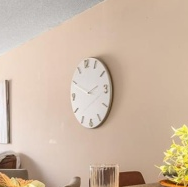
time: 2:49
